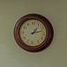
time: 1:12
